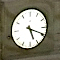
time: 5:19
